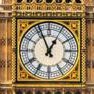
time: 12:56
